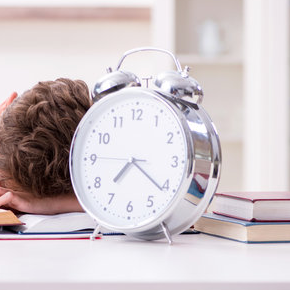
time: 7:21
